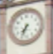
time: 7:34
